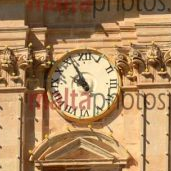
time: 9:55
